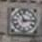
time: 11:13
